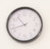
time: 10:42
